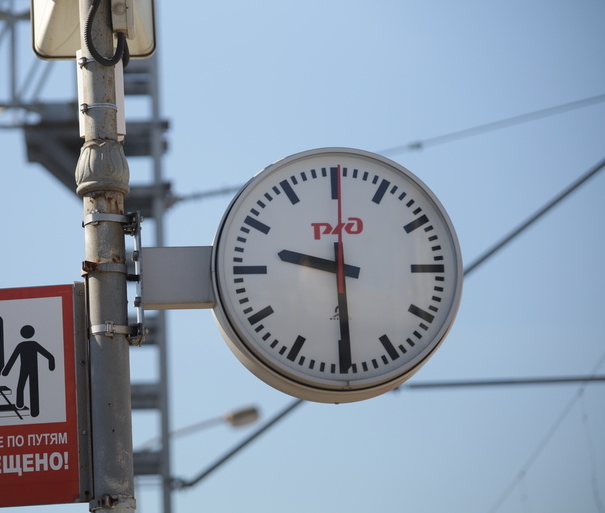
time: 9:29
